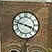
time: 3:47
